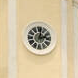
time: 2:01
